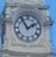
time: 1:54
